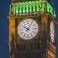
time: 10:05
